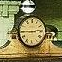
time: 2:45
